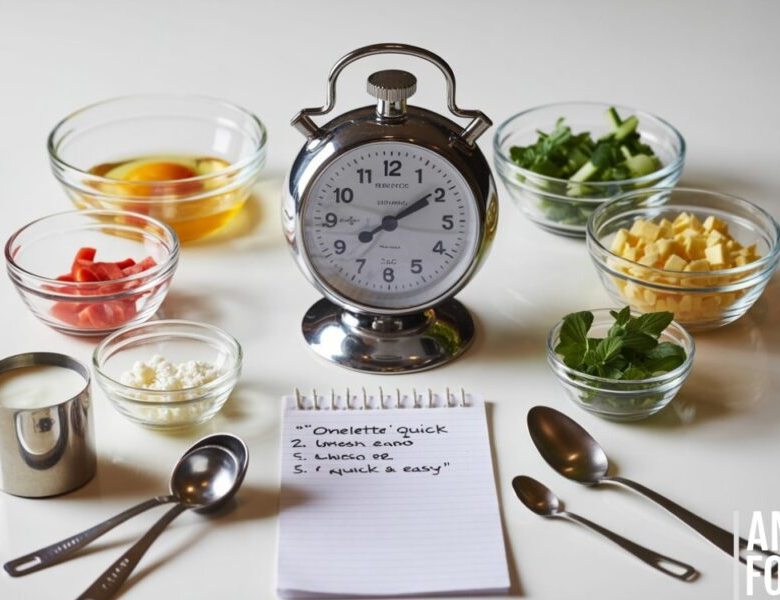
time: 2:09
